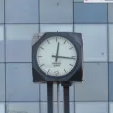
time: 12:16
